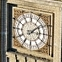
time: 3:08
